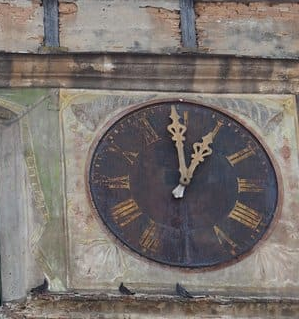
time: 12:59
